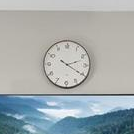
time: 2:20
